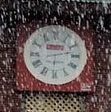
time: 6:13
